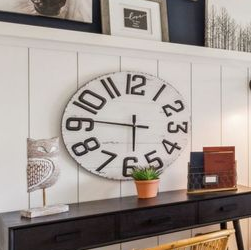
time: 5:46
